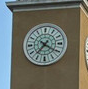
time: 7:20
